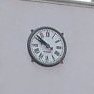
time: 9:51
